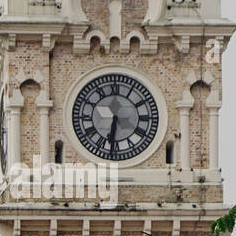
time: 6:31
